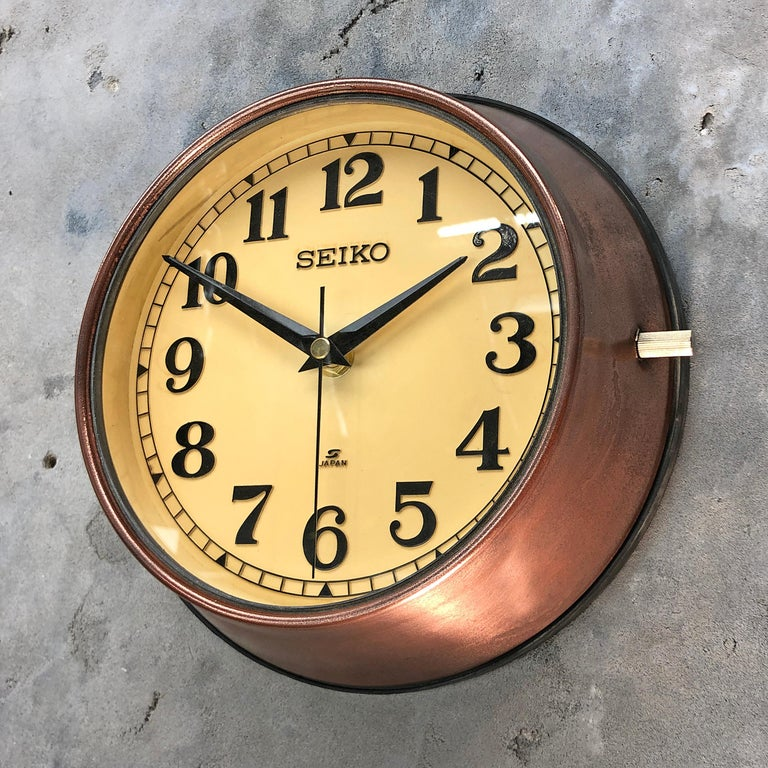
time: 1:50
